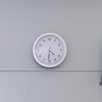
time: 4:31
